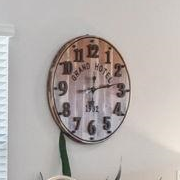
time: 12:13
